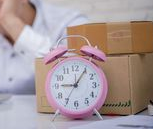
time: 9:05
